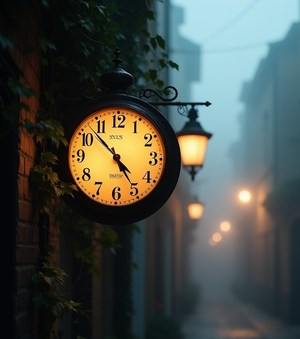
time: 4:52
